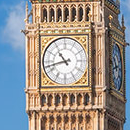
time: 10:42
